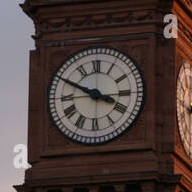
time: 3:49
